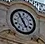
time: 4:54
